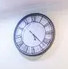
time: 5:22
